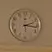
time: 2:16
